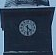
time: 4:30
